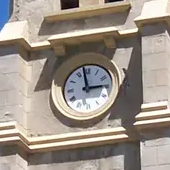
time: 2:58
